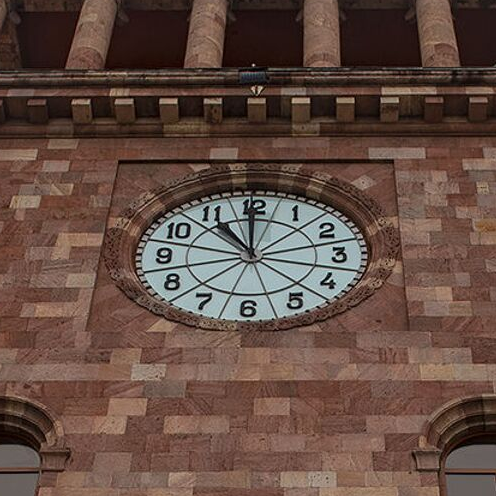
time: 10:59
